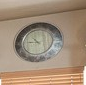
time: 10:45
